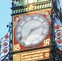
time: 7:12
